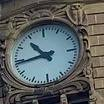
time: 10:44
